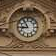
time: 8:54
